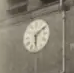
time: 6:08
